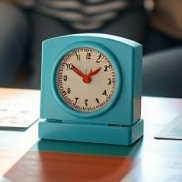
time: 1:50
